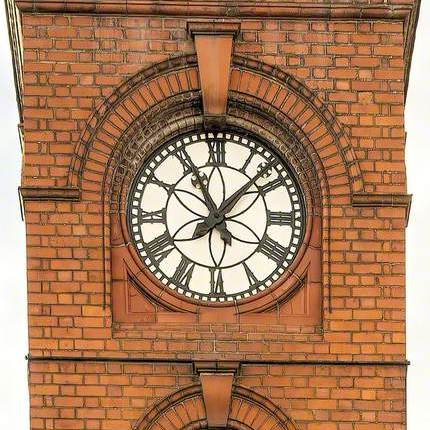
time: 11:07
